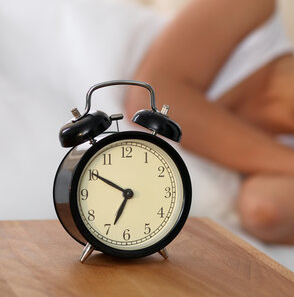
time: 6:50
